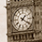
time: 1:20
